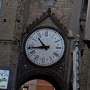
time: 10:43
